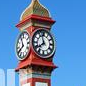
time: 7:57
